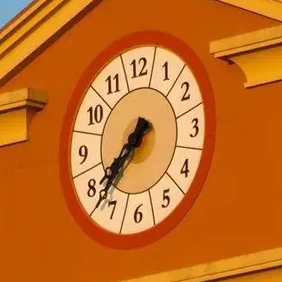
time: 7:37
